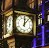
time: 12:06
